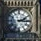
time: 2:15
